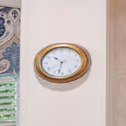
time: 10:32
